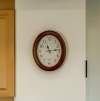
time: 11:13
